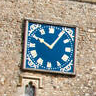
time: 10:06
